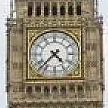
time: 4:37
